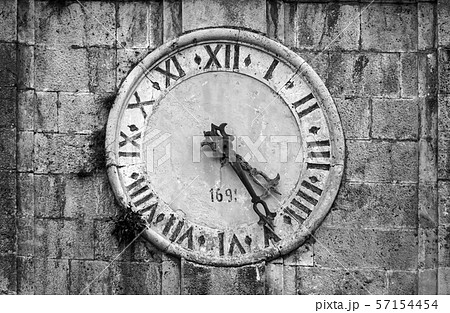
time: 4:24
